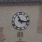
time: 11:16
